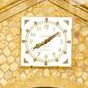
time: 8:09
